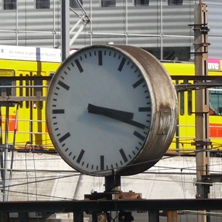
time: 3:18
